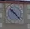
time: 10:22
